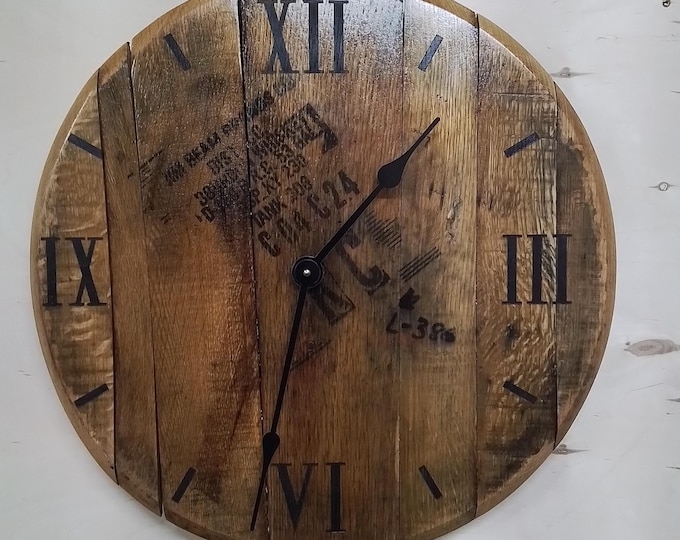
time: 1:32
